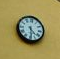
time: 4:29
